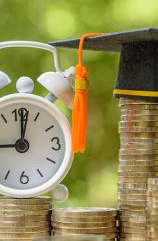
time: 9:01
